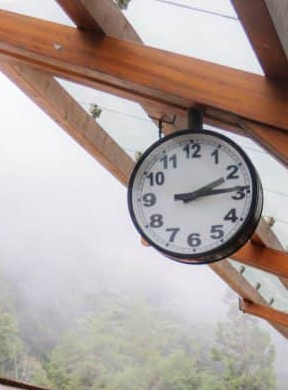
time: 2:14
